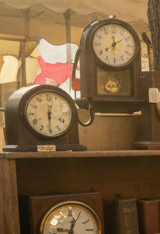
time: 12:30
